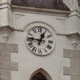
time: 12:46
